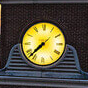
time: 7:37
